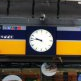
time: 9:46
